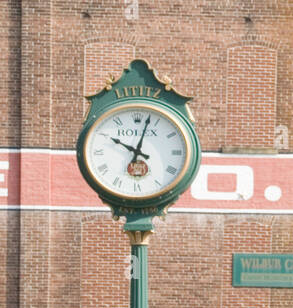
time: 10:02
